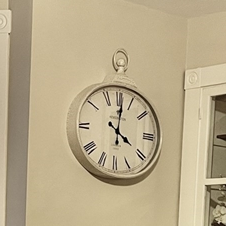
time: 4:01
